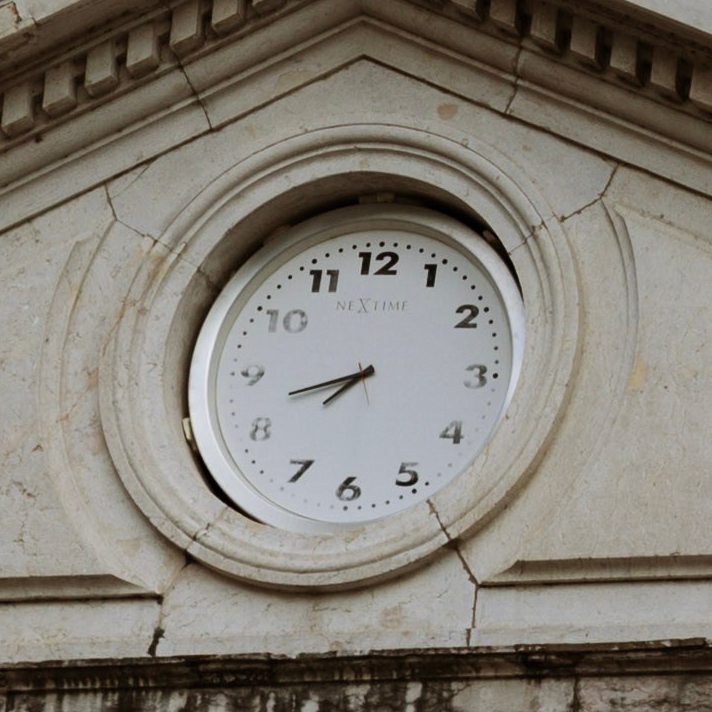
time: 7:42
